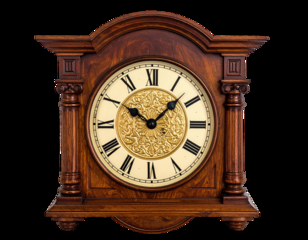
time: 10:07
